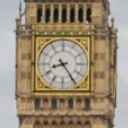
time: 8:24
